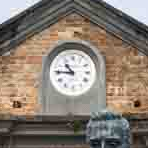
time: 10:45
